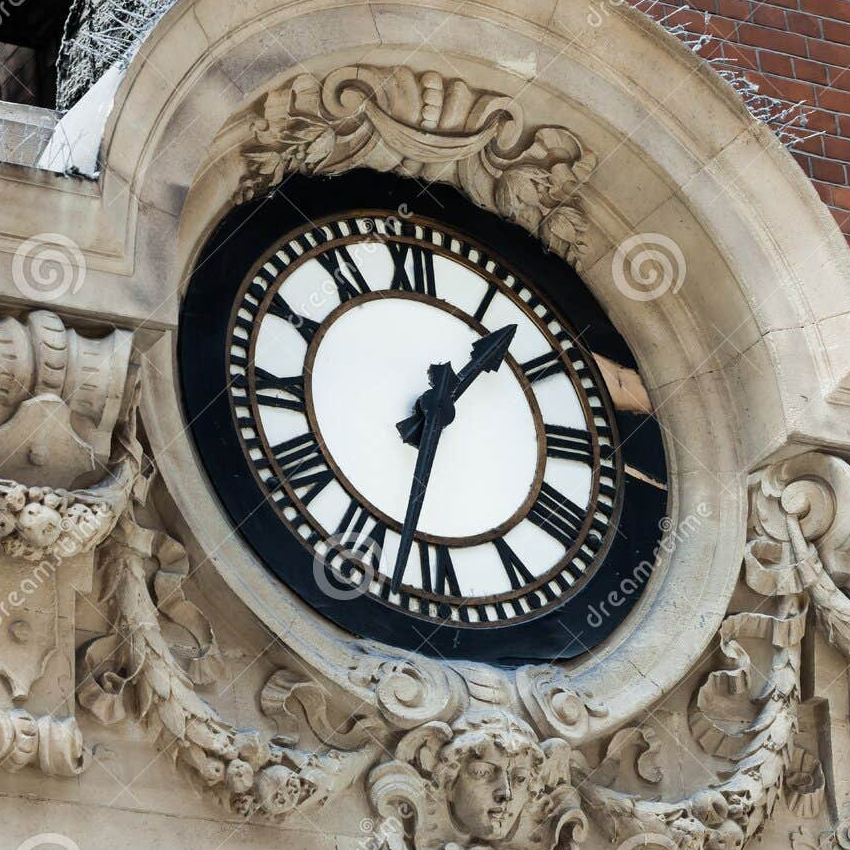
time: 1:32
